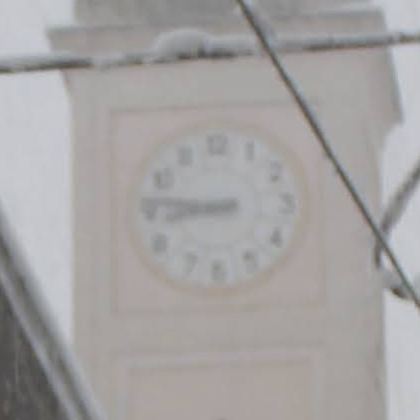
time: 8:46
